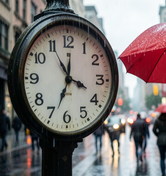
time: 3:33
